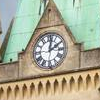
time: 2:01
